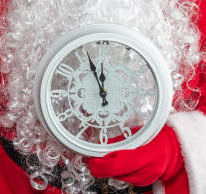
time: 11:56
